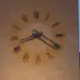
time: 8:20
